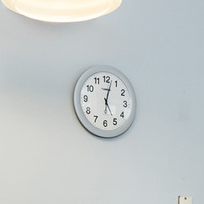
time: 5:02
